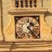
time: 1:24
